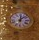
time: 12:07
